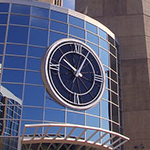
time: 10:05
